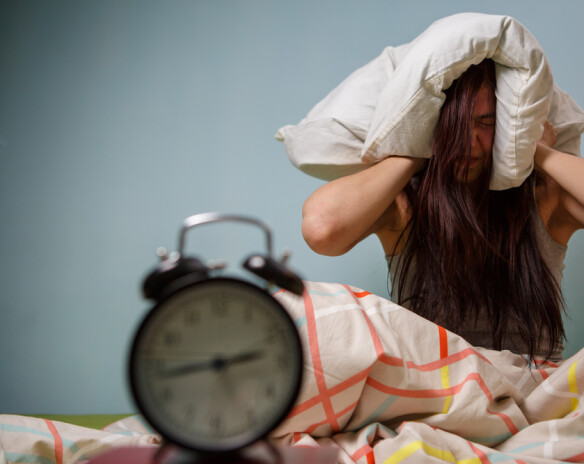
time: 2:43
